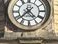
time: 4:37
